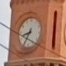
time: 8:34
